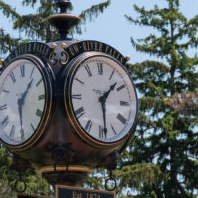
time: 1:28
